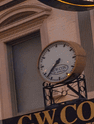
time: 7:37
